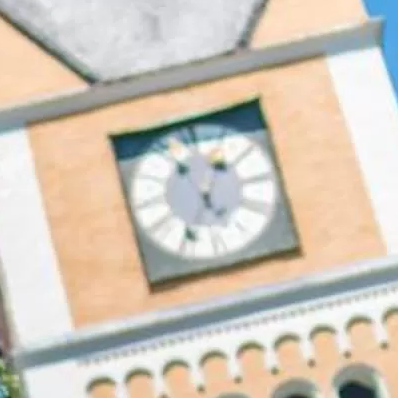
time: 5:35
